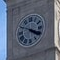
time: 3:48
